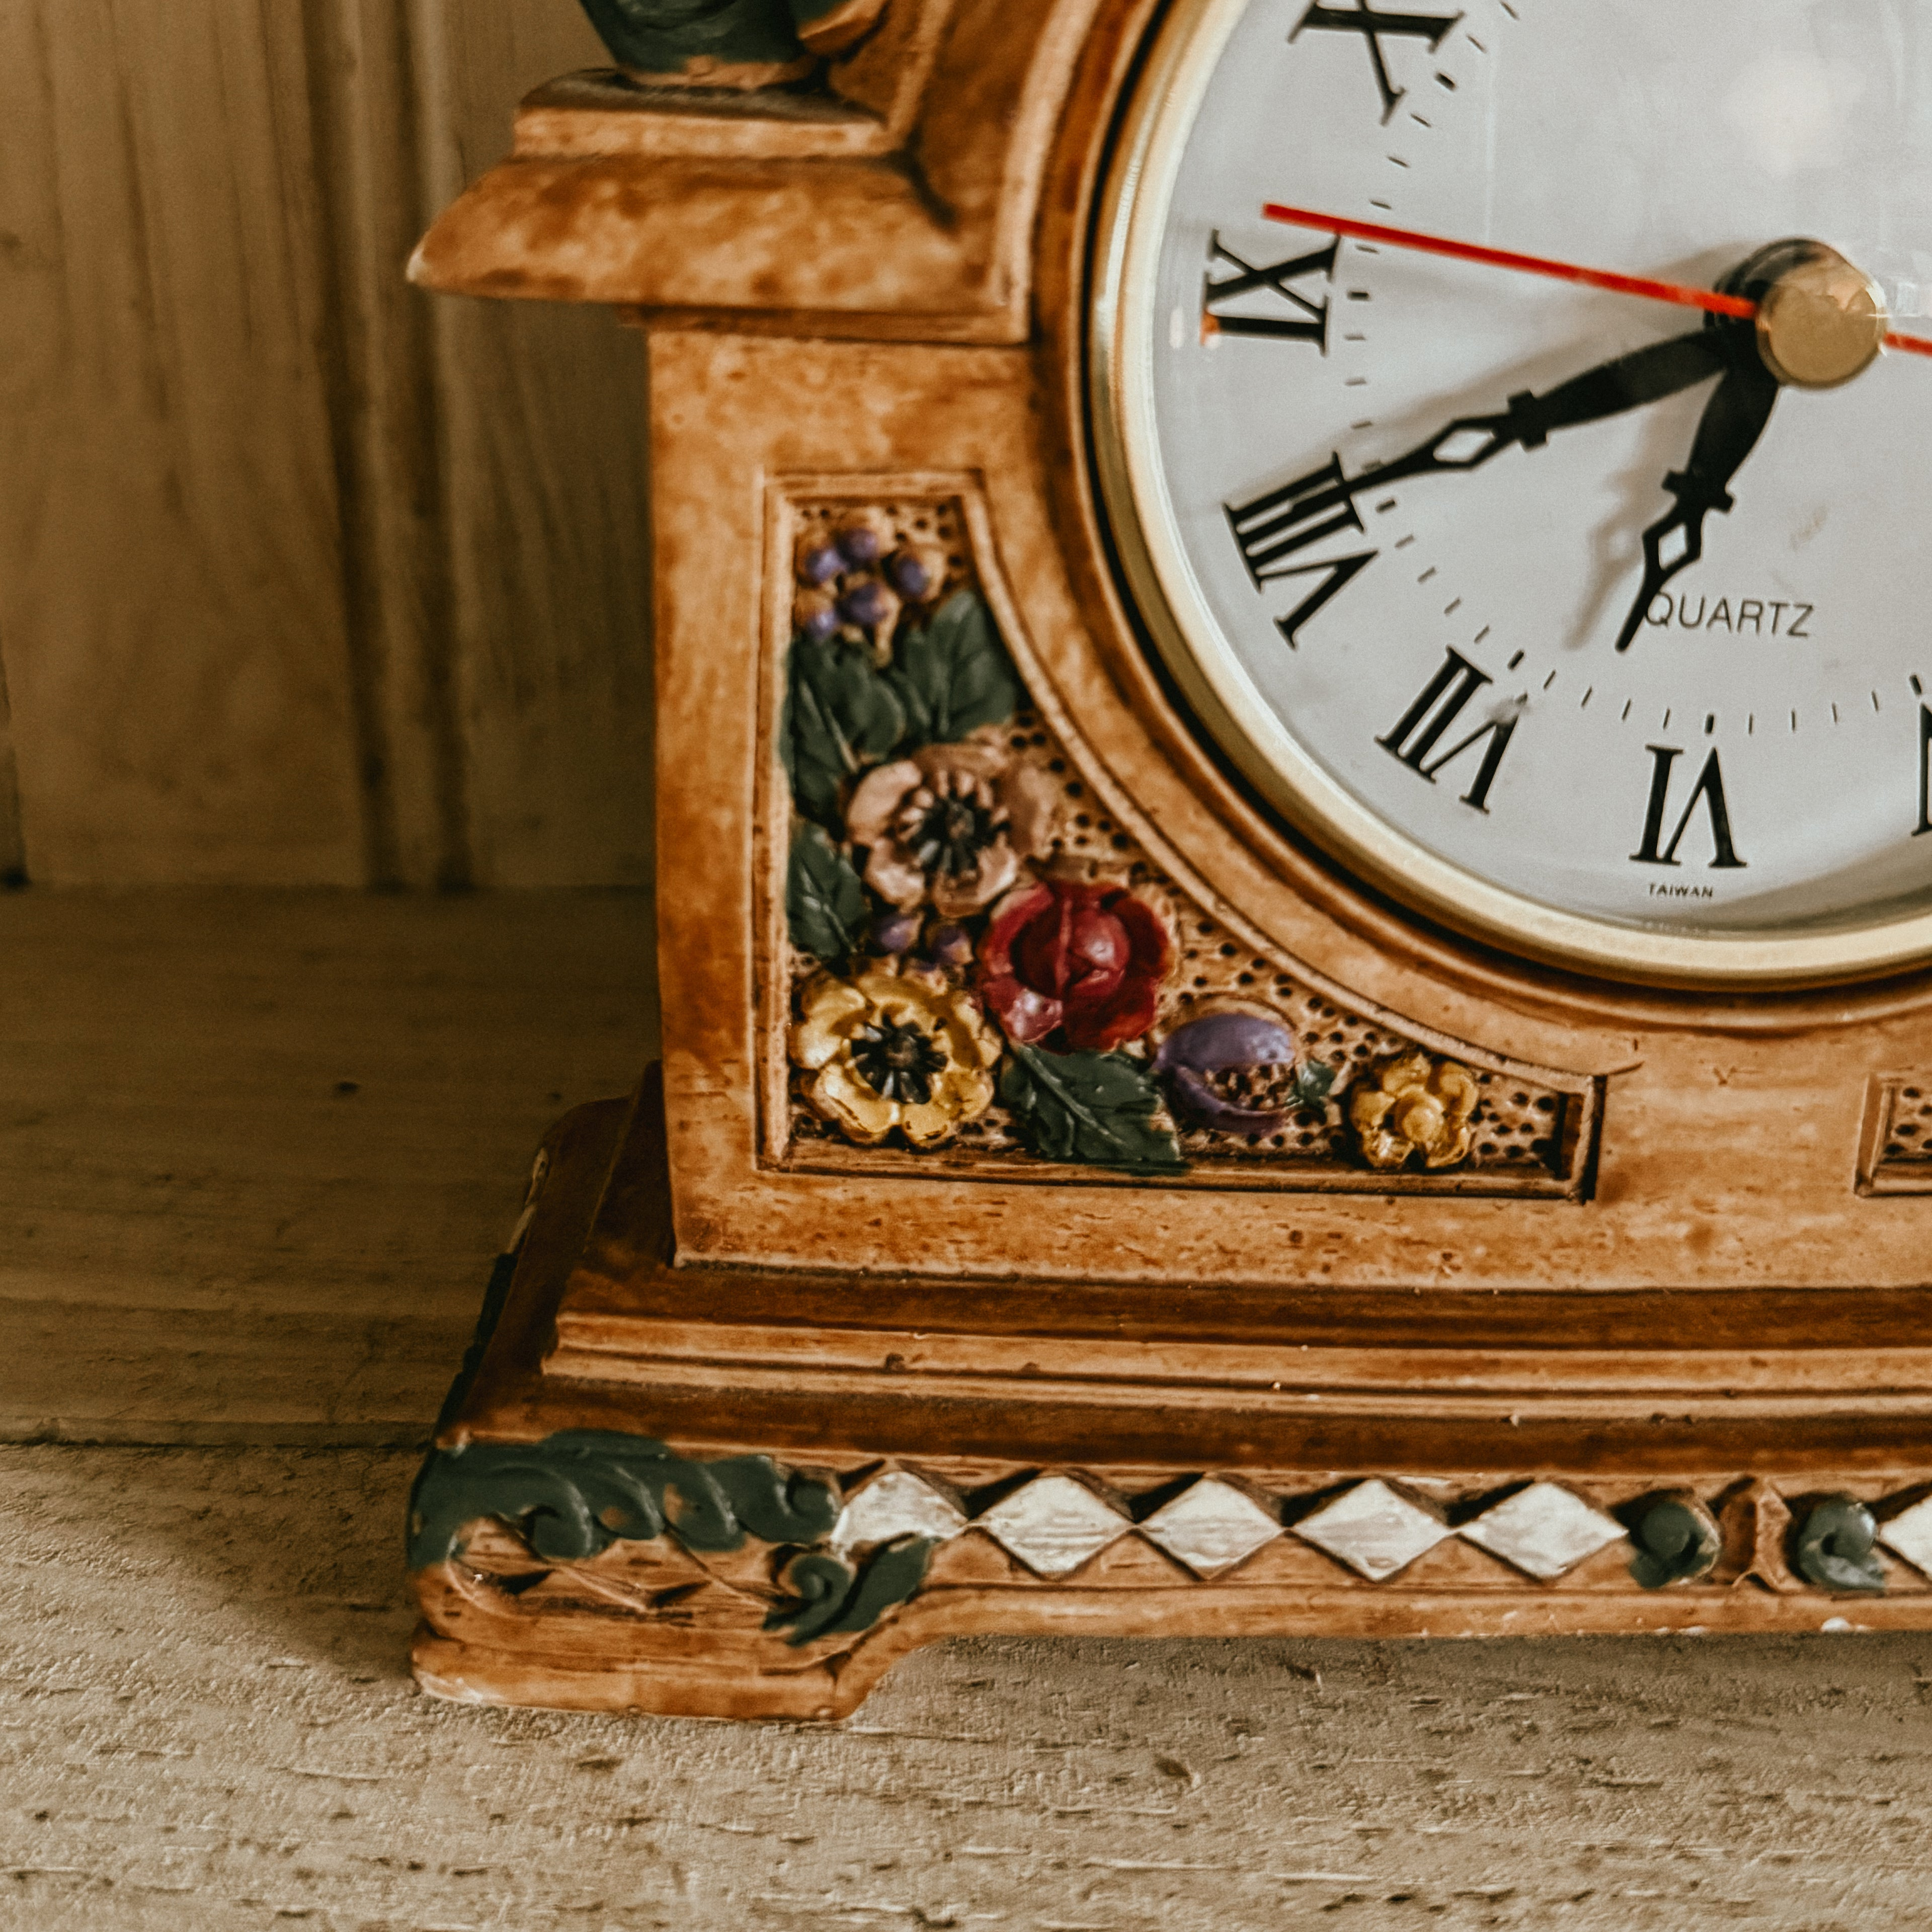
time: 6:41
